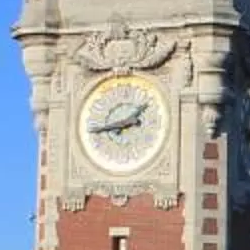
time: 1:43
